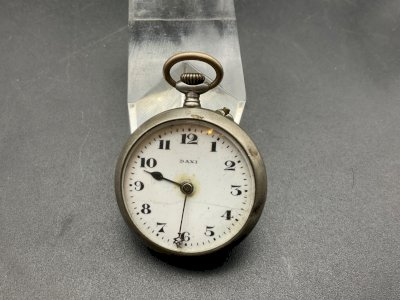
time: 9:48
